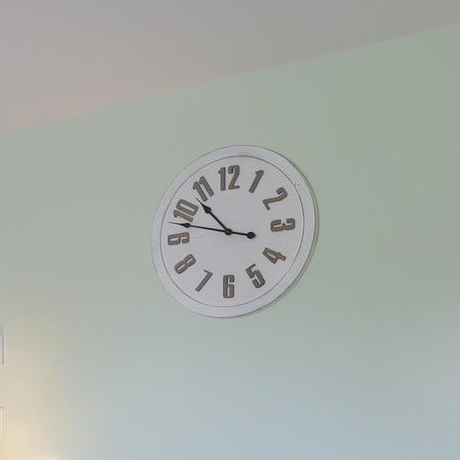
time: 10:47
